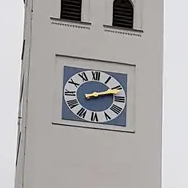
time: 2:12
